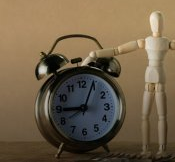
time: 9:04
